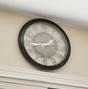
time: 1:43
